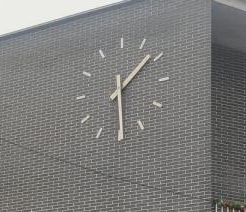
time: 1:29
